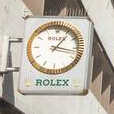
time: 1:16
